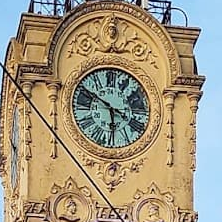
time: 5:50
